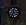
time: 11:35
